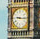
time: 9:15
